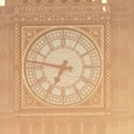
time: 6:47
